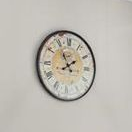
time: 1:55
